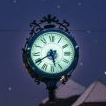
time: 5:40
